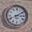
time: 3:09
